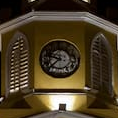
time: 9:37
